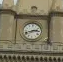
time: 2:42
